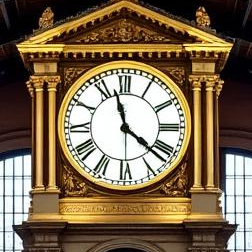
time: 11:21
